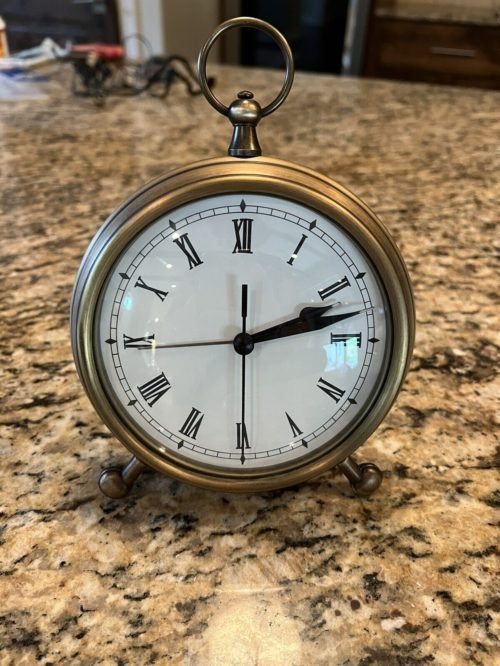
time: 2:12
